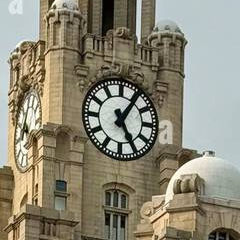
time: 5:05
